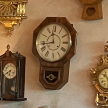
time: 11:43
